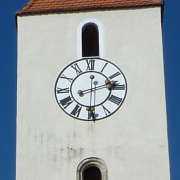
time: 2:29
